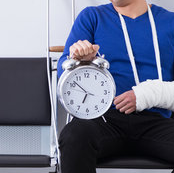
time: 6:52
